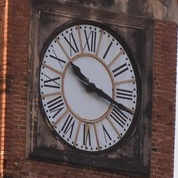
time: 10:17
